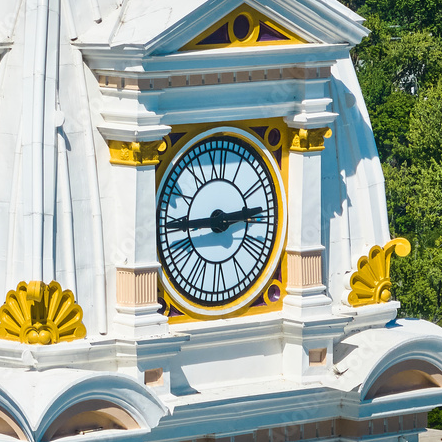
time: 2:44
